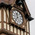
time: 11:36
